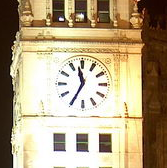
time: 11:35
